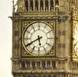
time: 5:40
